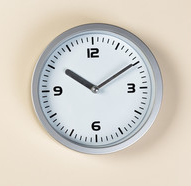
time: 10:09
